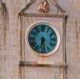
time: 6:28
